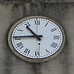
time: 10:45
